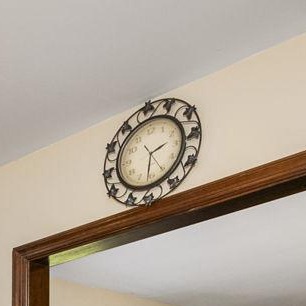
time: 2:31
